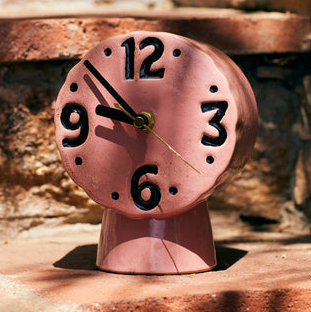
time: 9:53
